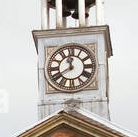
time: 11:40
